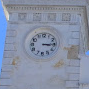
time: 3:14
